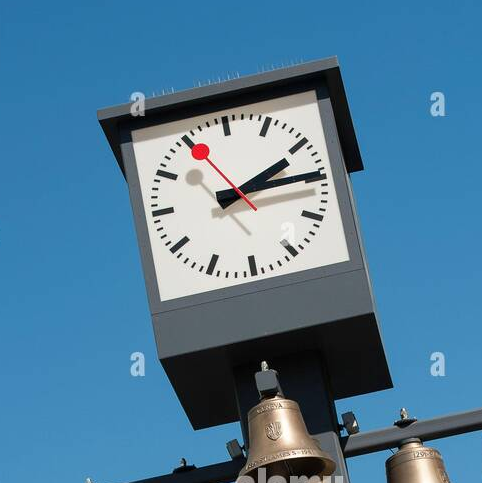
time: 2:14
